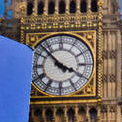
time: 3:52
